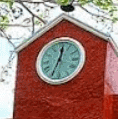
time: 12:34
